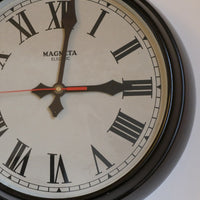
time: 12:14
